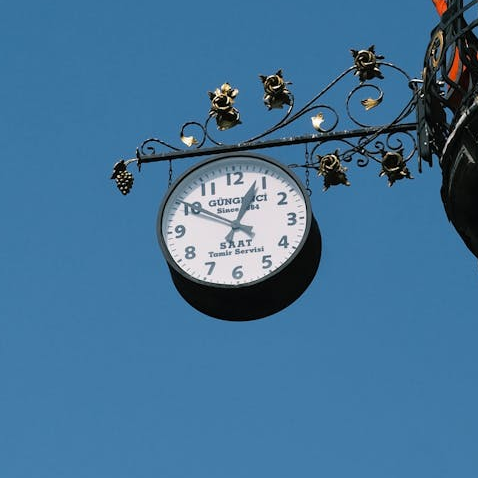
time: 12:49
